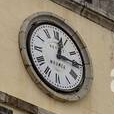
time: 12:14
